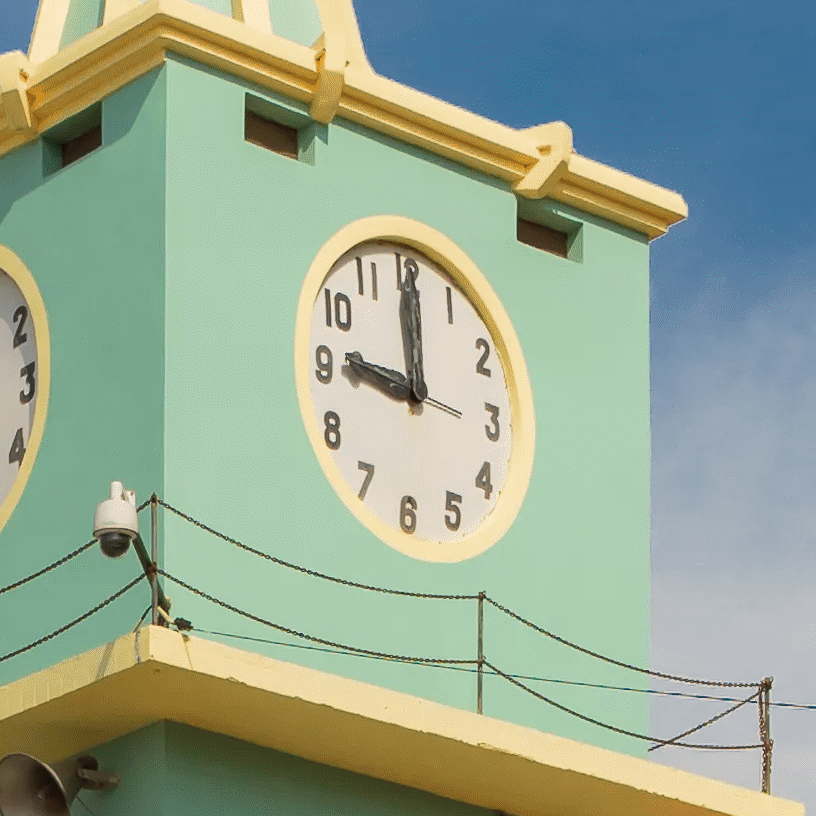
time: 9:00
